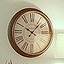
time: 10:07
